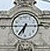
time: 6:36
